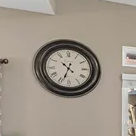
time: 10:33
